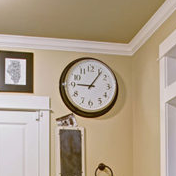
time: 9:06
